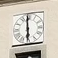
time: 5:59
